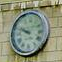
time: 9:48
